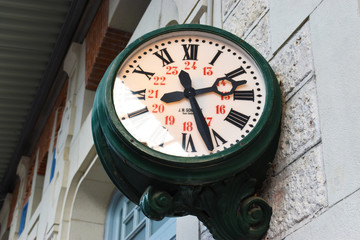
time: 2:26
